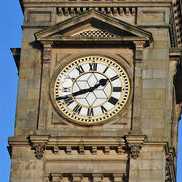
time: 1:41
